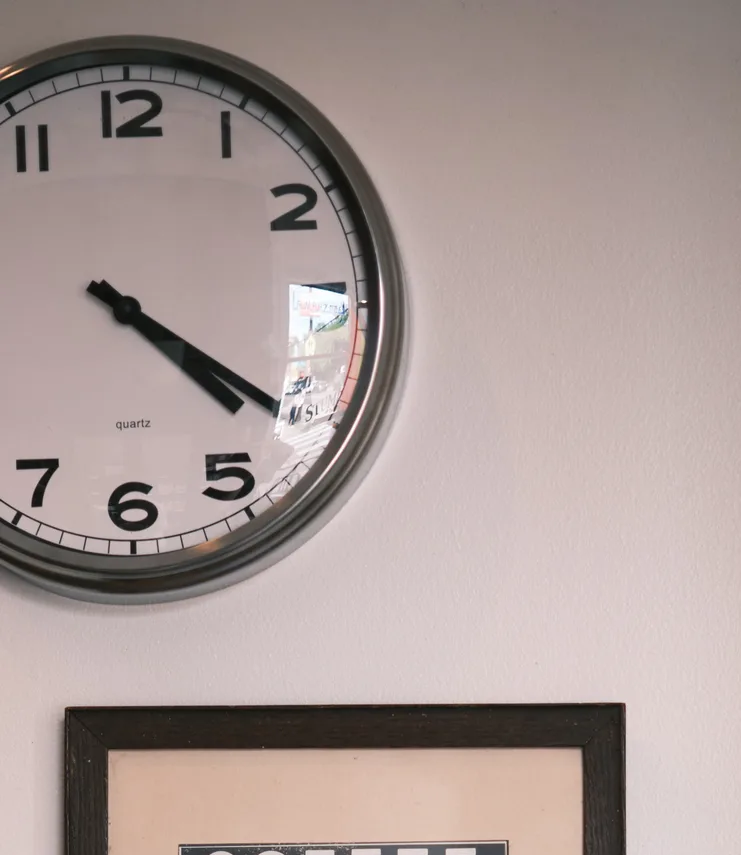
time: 4:20
